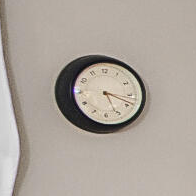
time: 5:18
